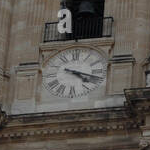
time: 4:18
